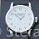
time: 1:51
